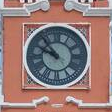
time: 9:53
